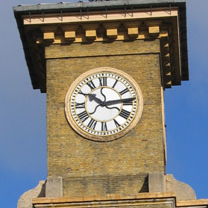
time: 10:13
